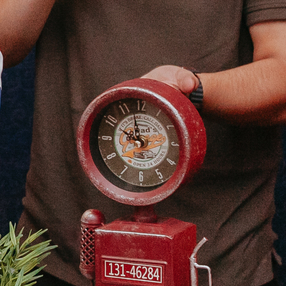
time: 9:57
